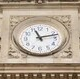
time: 11:12
